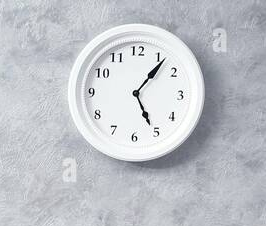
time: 5:06
